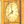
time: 7:58
